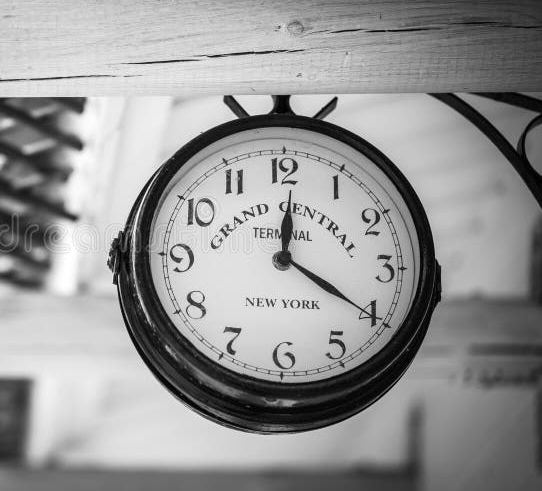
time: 12:20
